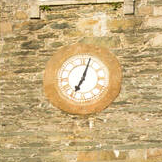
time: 7:03
